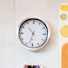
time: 10:32
